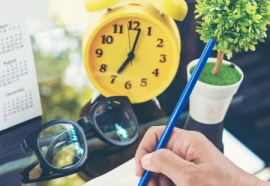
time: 7:02
